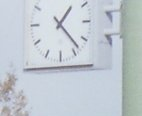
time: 1:23
